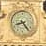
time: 8:24
